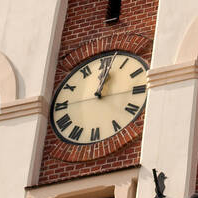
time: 1:01
